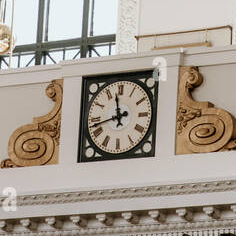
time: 11:42
